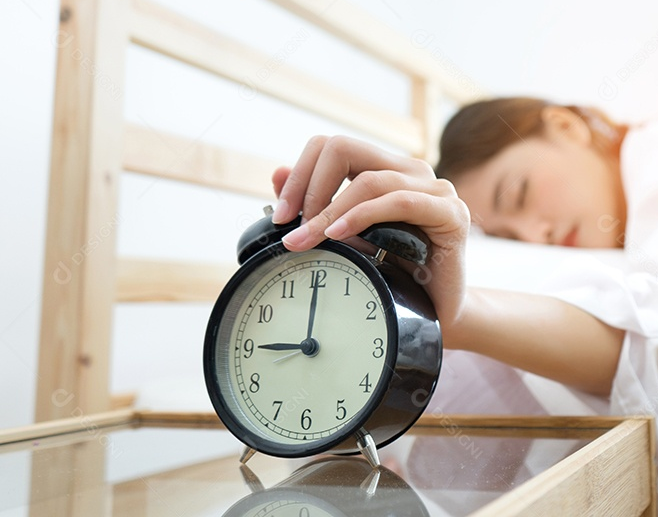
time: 9:00
